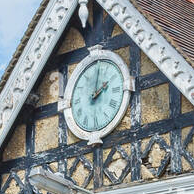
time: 2:01
